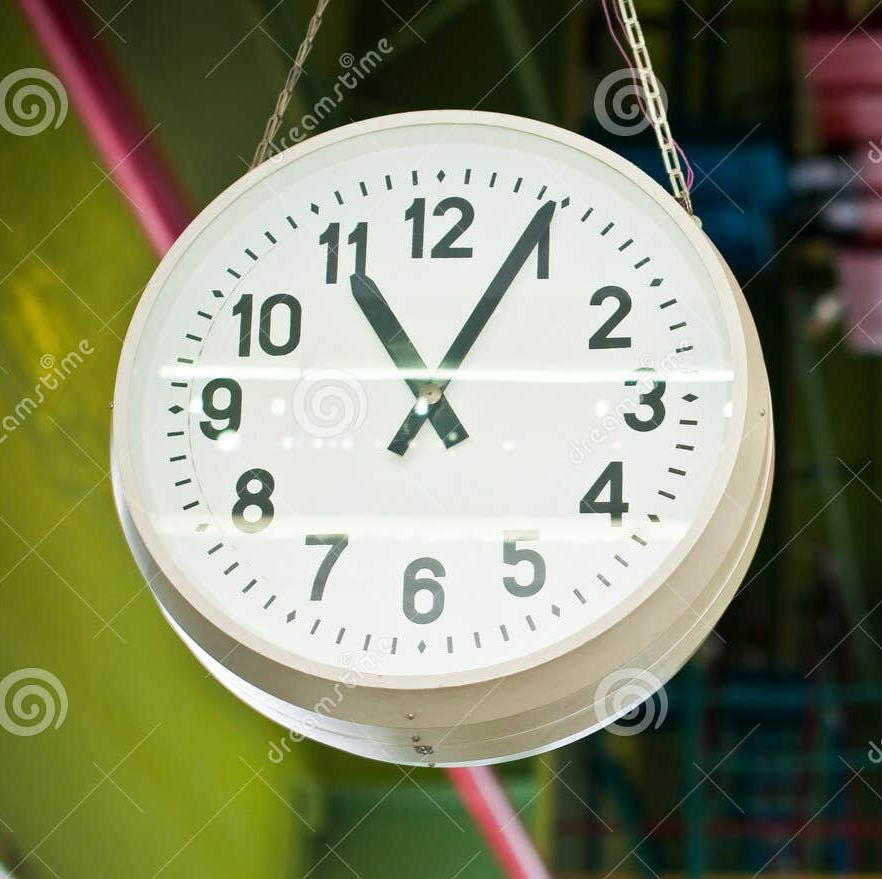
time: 11:04
